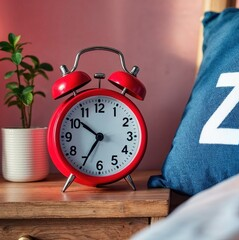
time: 6:51
